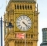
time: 4:22
